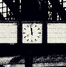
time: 11:58
